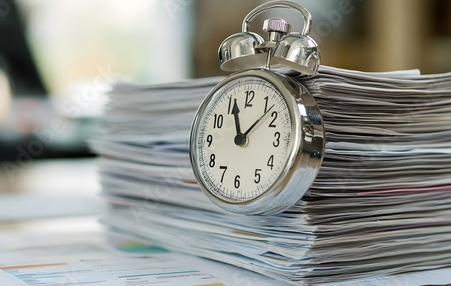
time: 11:07
